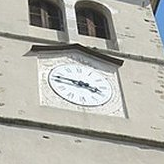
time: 3:46
